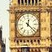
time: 12:21
